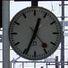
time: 12:34
